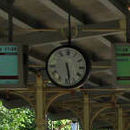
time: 5:28
